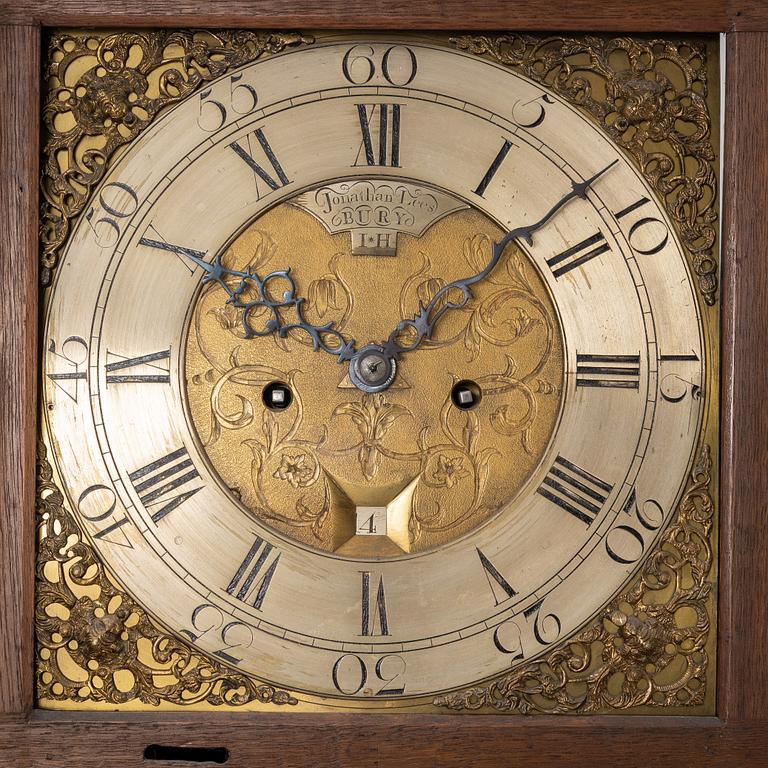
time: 10:07
